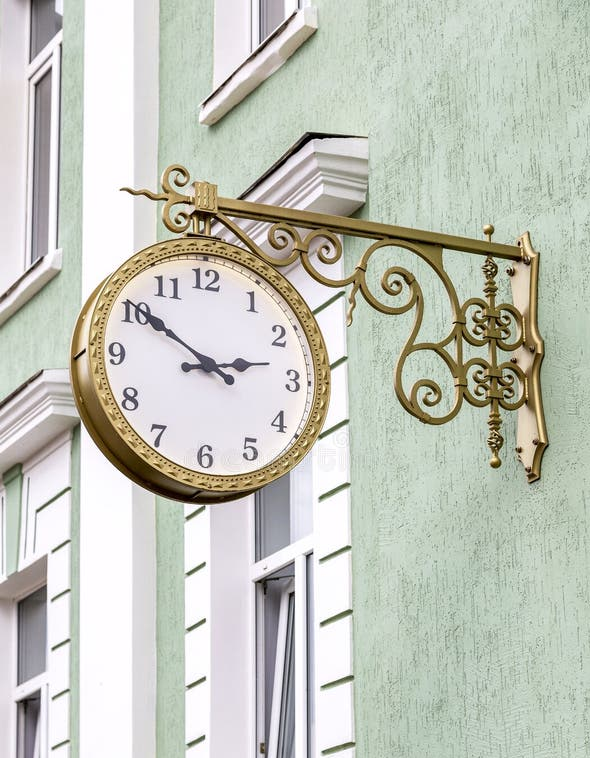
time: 2:50
